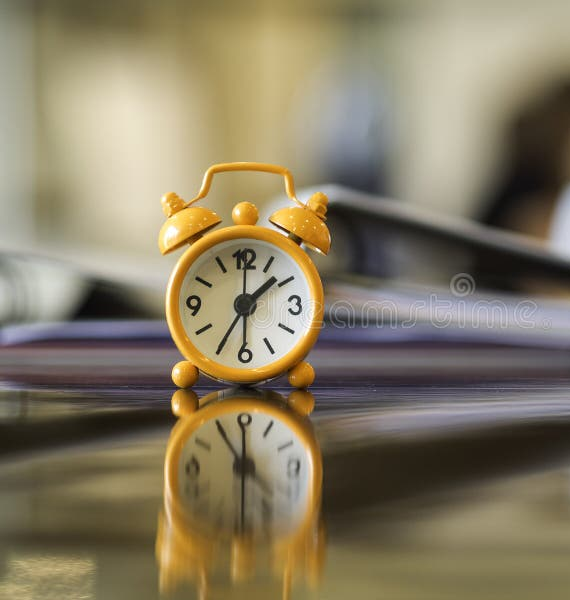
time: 1:35
